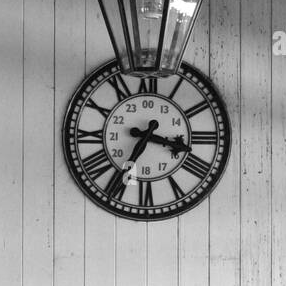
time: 3:34
